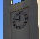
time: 11:46
